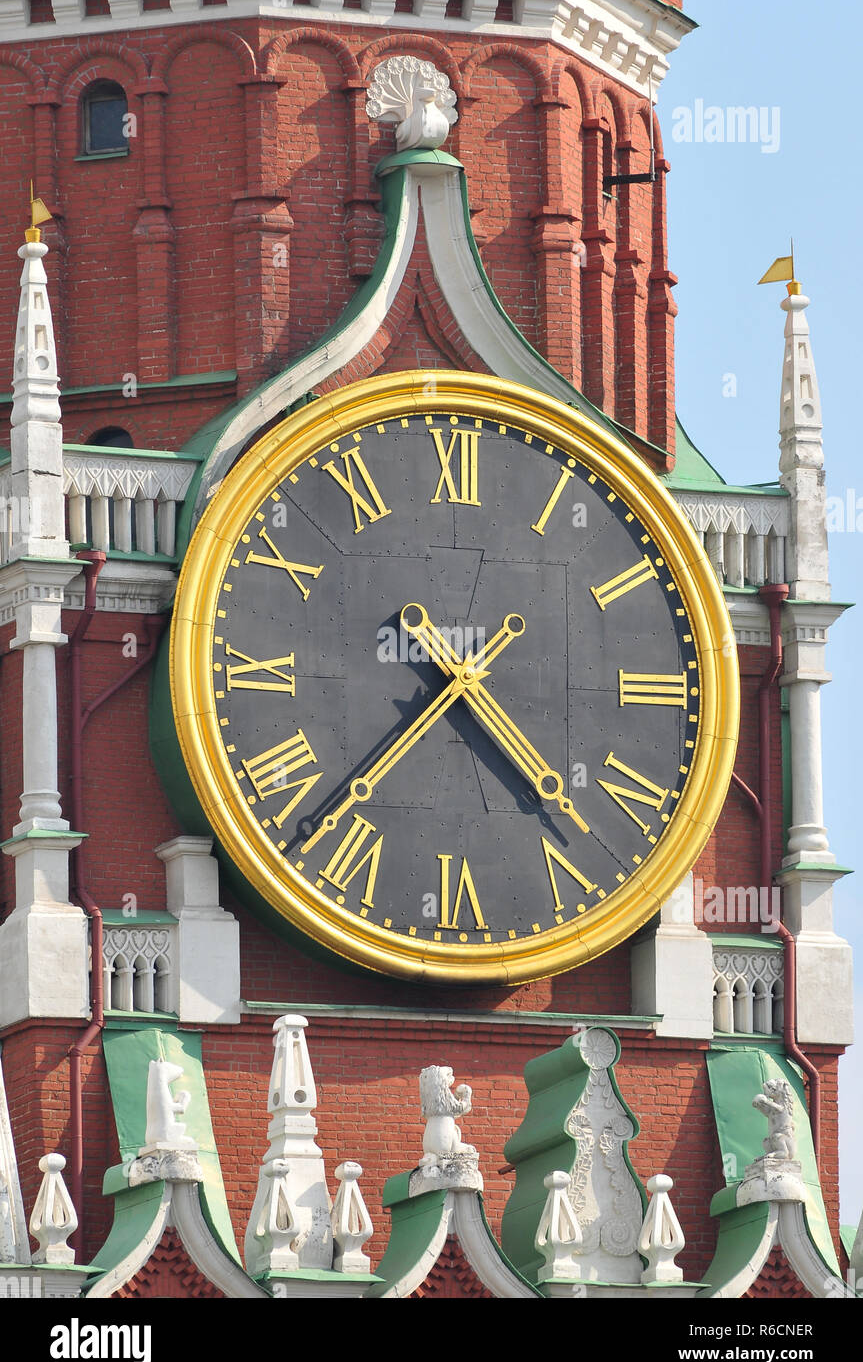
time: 4:37
